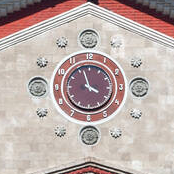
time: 3:57
